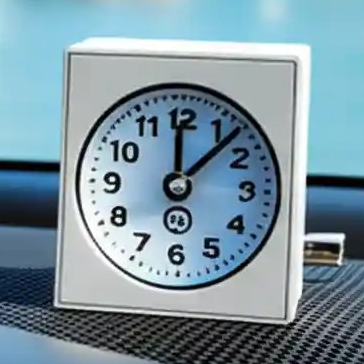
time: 12:07
